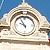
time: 9:54
